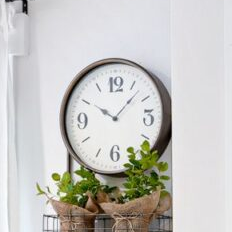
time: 10:07
